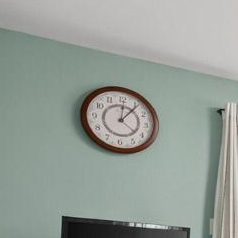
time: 12:06
